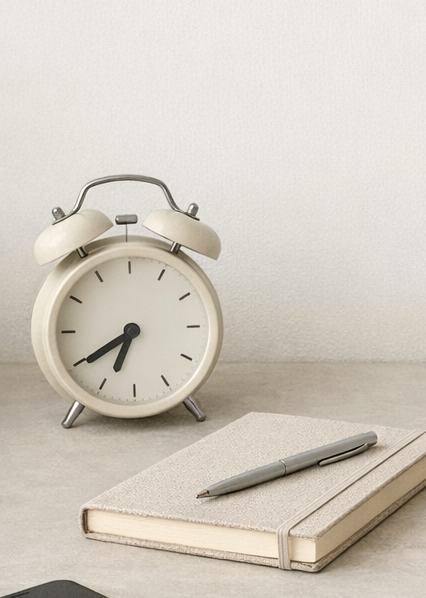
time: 6:39
